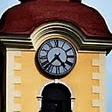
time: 4:37
